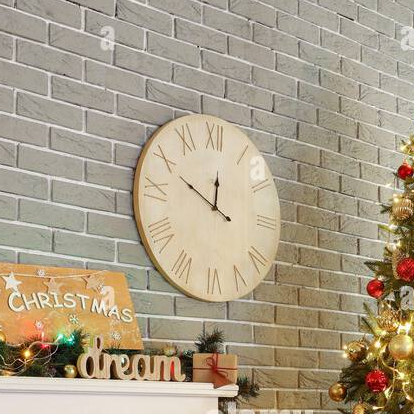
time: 11:48
